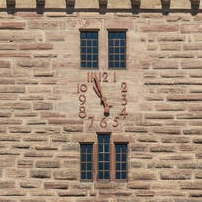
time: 10:56
